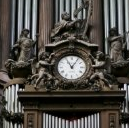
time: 11:06
